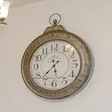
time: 5:36
